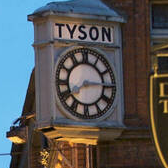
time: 8:14
